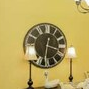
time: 3:31
